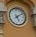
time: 5:09
